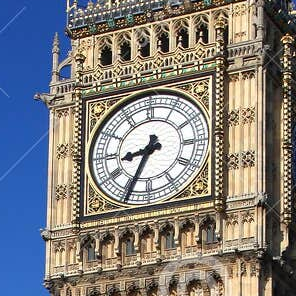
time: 8:34
